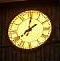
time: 2:01
